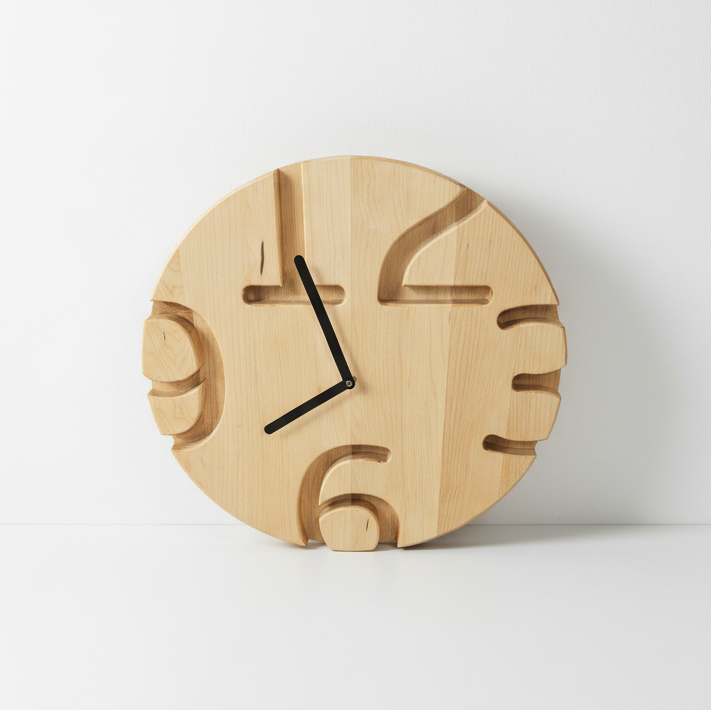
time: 7:56
